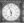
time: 5:57
